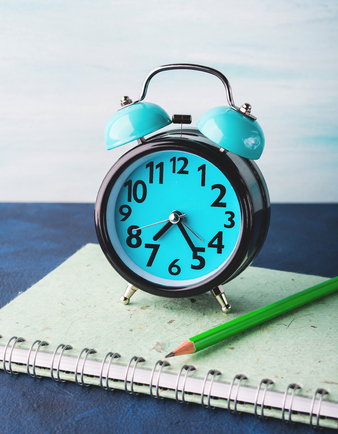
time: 7:24
